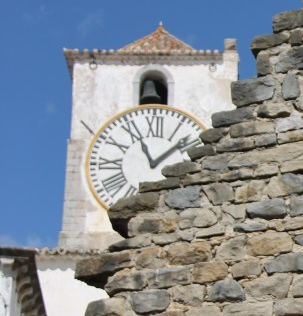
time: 11:07
